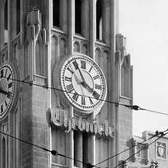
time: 3:55
